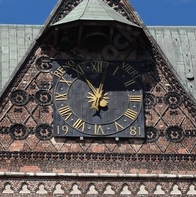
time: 11:02
